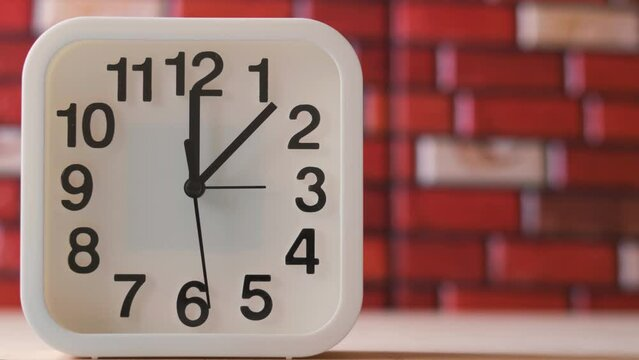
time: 12:07
